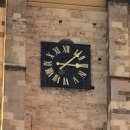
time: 3:07
